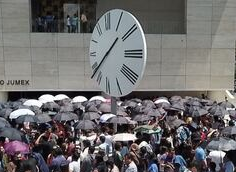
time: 1:38
